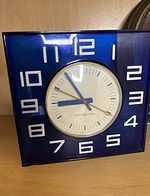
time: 8:54
